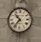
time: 10:36
